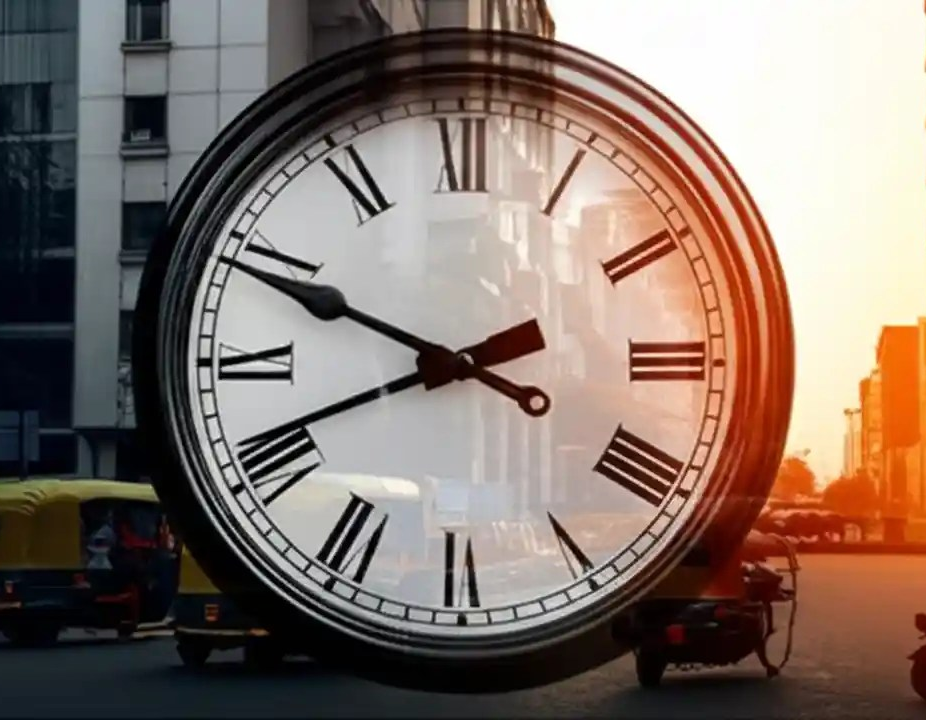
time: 9:41
